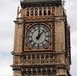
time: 12:07
